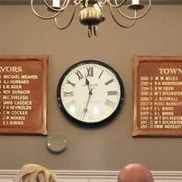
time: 11:32
